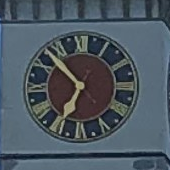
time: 6:52
